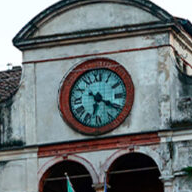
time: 6:20
